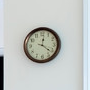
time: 12:21
